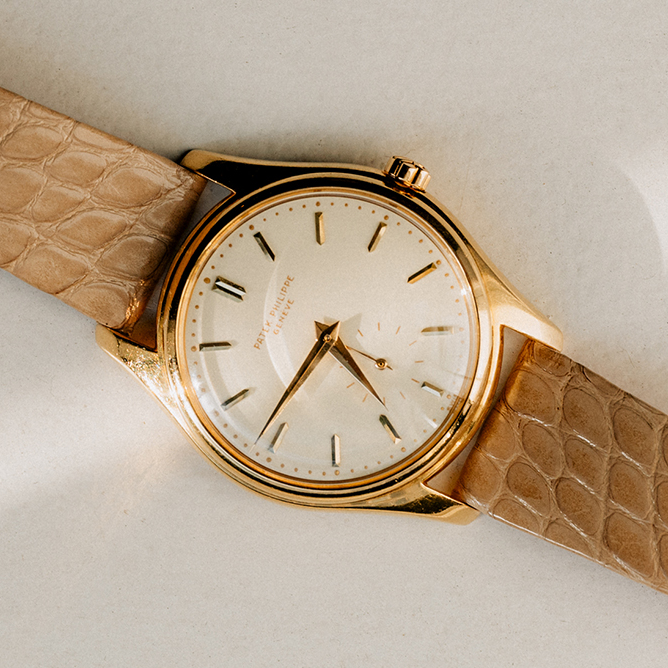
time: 4:36
